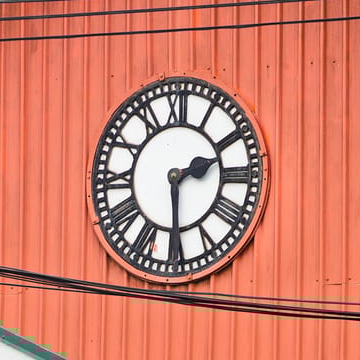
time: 2:29
